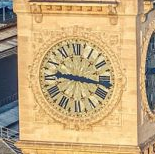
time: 9:16
